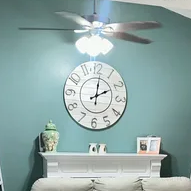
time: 2:01
